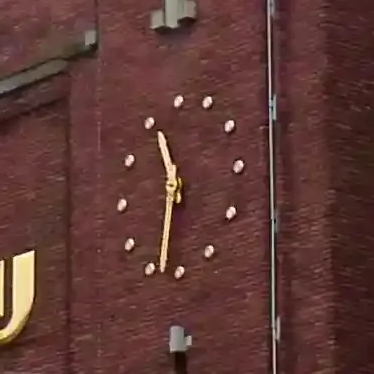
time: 11:32
